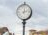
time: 12:12
